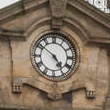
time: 4:51
